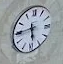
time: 5:44
